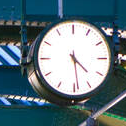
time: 4:28
